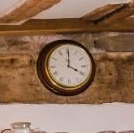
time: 4:00
